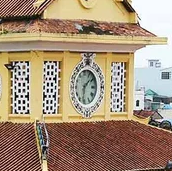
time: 1:31
